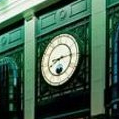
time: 8:14
